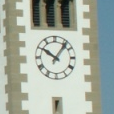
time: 10:06
